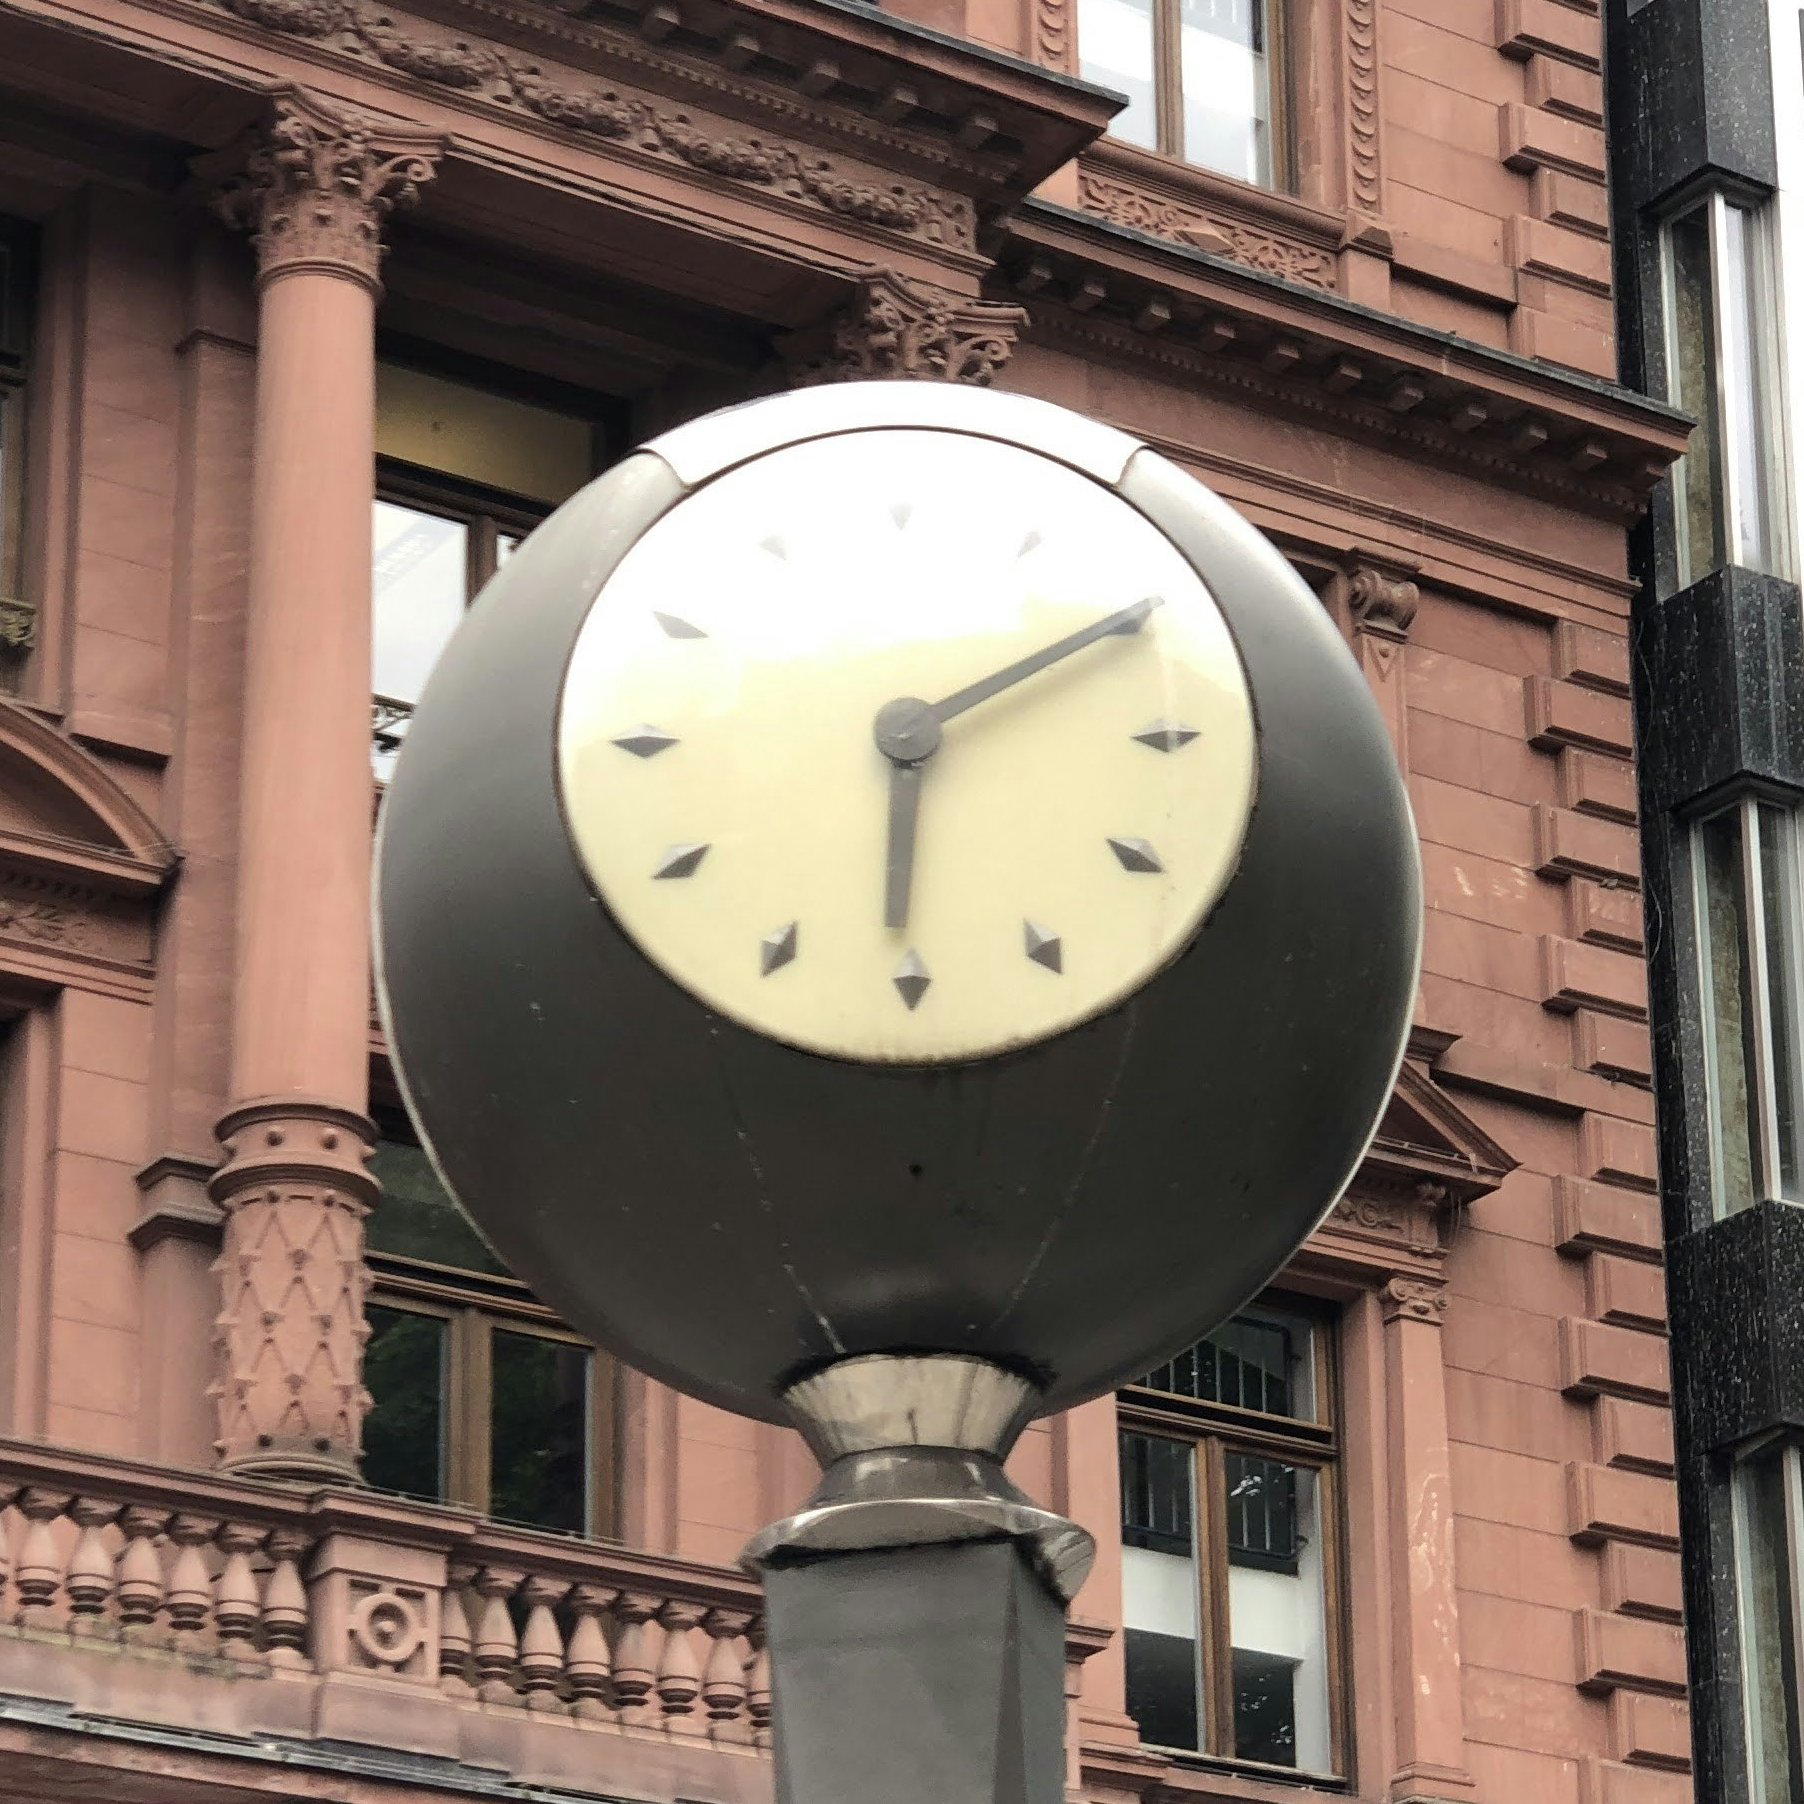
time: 6:10
